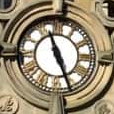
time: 11:26
